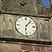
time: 6:06
